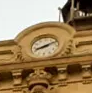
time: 8:11
